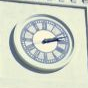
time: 2:12
